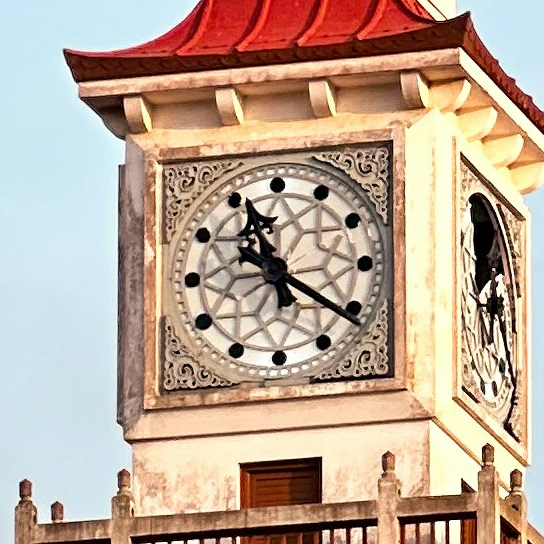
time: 11:20
